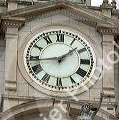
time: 1:43
